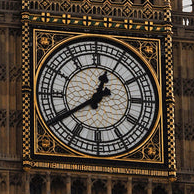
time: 12:39
